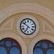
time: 6:51
